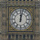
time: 12:02
